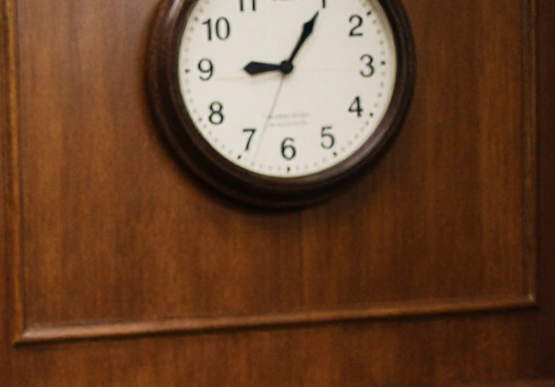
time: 9:05
